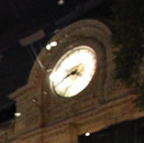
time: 3:40
